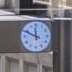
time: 11:48
